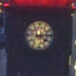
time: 4:13
